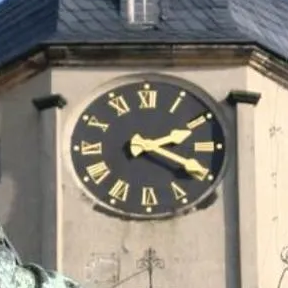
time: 2:19
